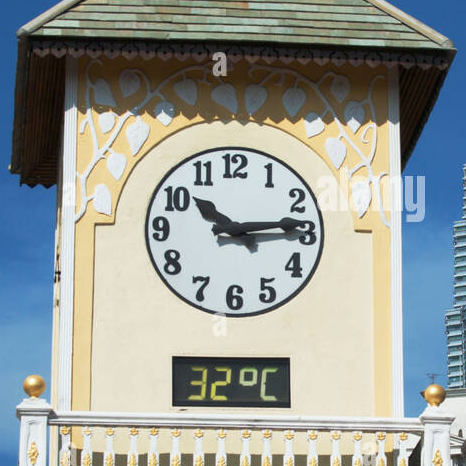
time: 10:13
